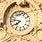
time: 7:46
